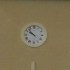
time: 9:52
